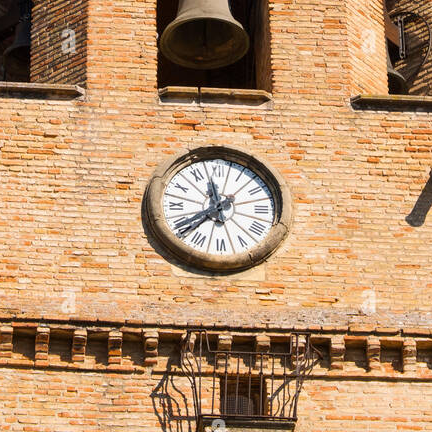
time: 11:38
